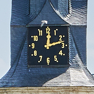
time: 12:12
